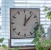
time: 12:06
